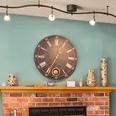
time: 12:34
